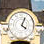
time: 4:04
